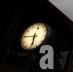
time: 5:45
